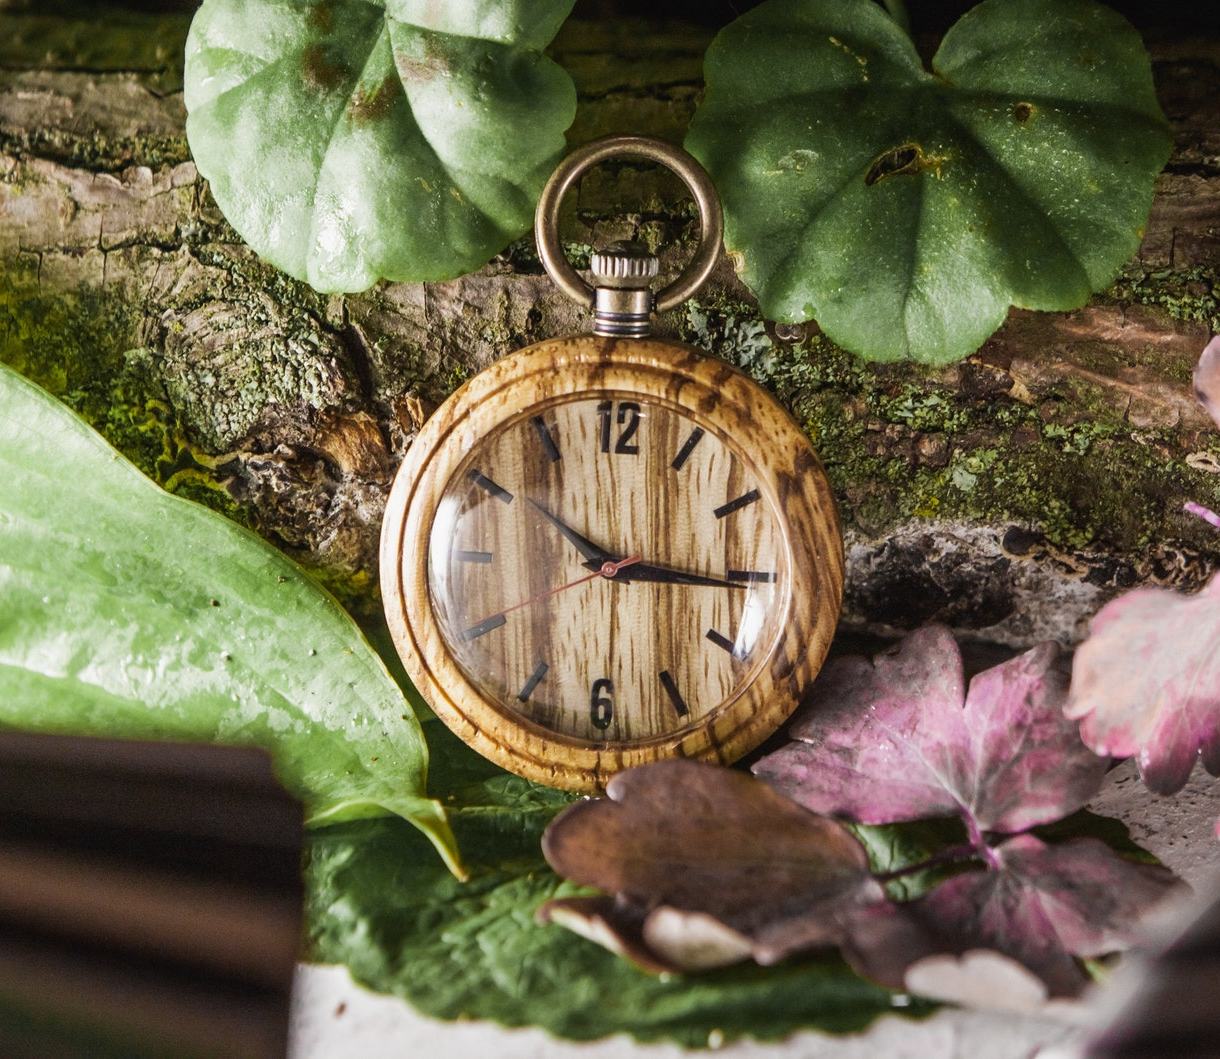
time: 10:15
